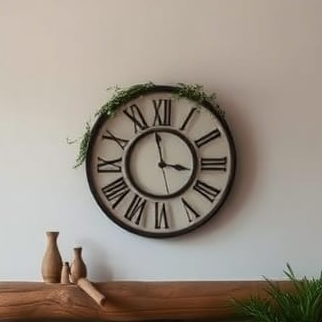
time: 2:58
